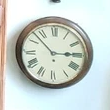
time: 2:52
